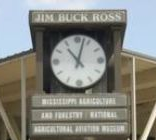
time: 11:02
